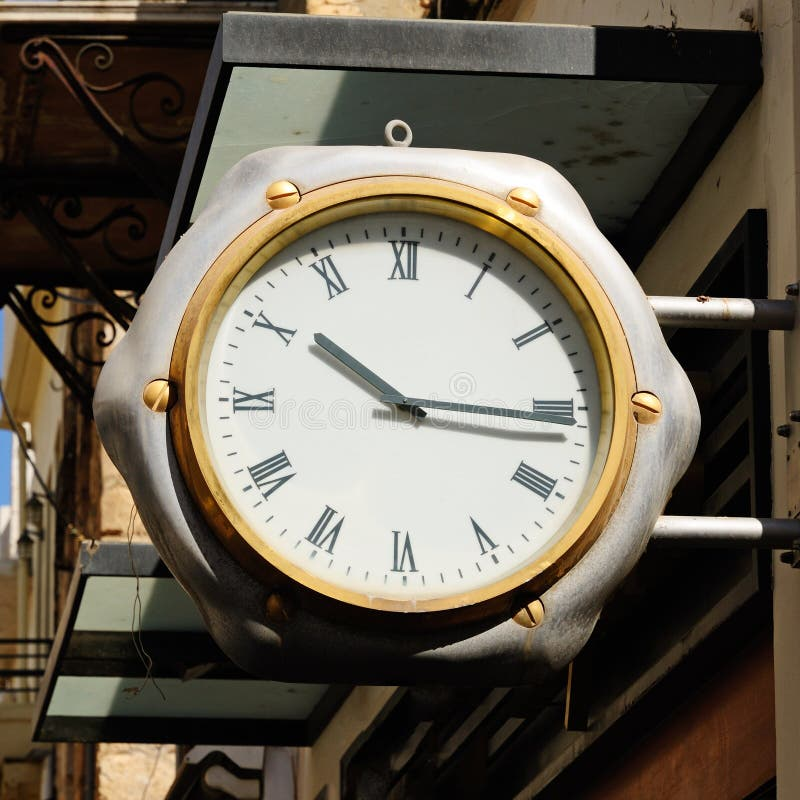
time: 10:15
